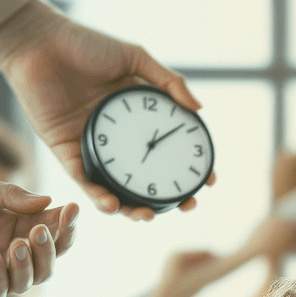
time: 1:08
